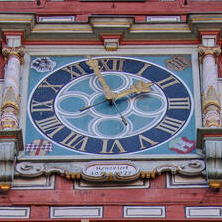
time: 1:57
